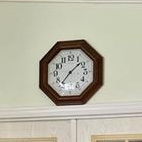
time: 1:36
